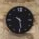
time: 10:28
